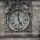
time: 4:59
